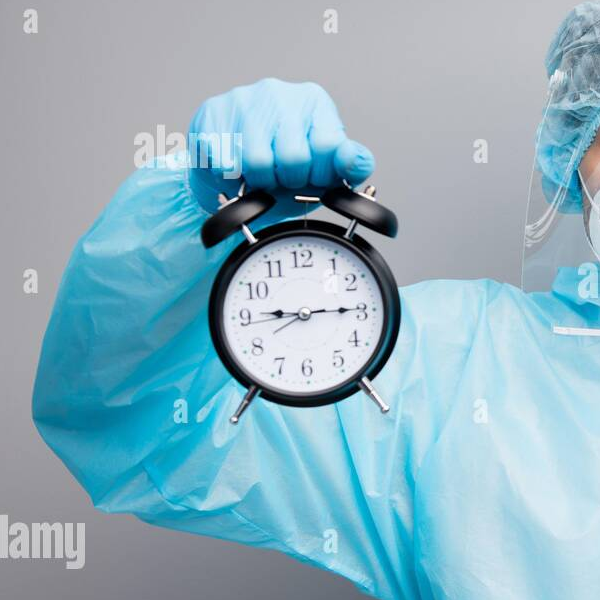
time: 9:14
